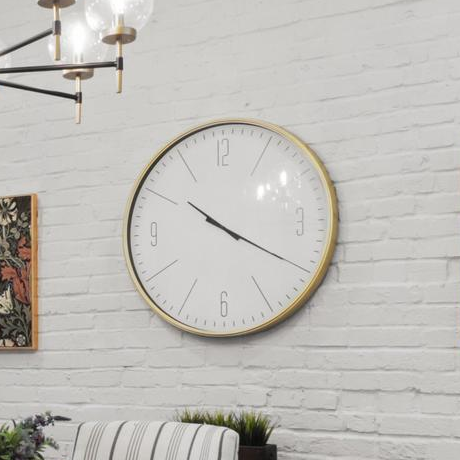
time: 10:19
